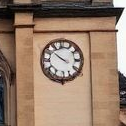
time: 3:51
